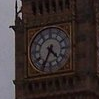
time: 4:34
